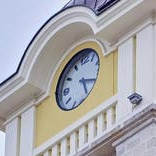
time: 5:18
